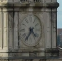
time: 4:35
